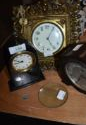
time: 5:04
